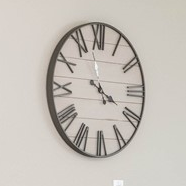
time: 3:57
